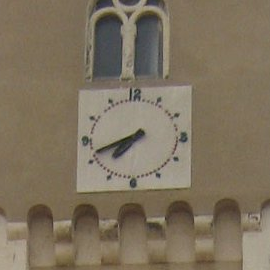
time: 7:41
